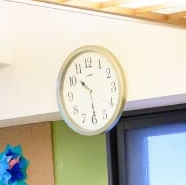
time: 10:30
